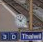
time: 10:07
